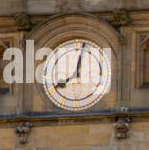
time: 8:01
